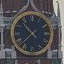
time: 10:37
